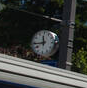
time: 11:43
